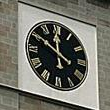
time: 11:50
